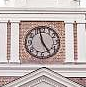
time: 4:57
